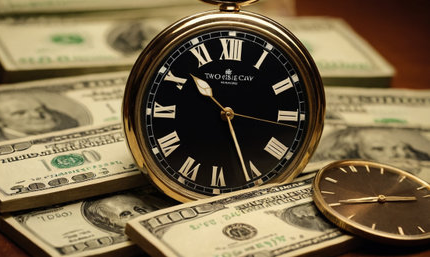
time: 10:26
